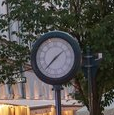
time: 1:37
